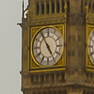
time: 4:54
